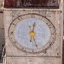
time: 12:27
